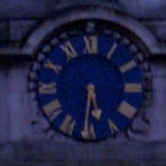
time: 5:31
